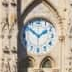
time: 1:51
